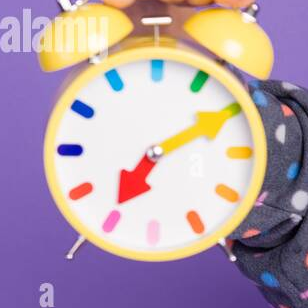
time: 7:10
